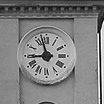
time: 8:57
